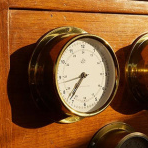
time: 7:36
